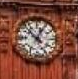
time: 12:52
